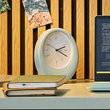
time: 2:19
